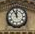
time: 11:55
